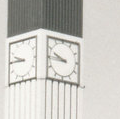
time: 9:45
